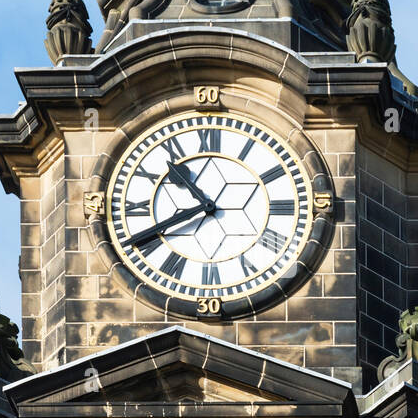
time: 10:40
